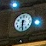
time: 6:29
